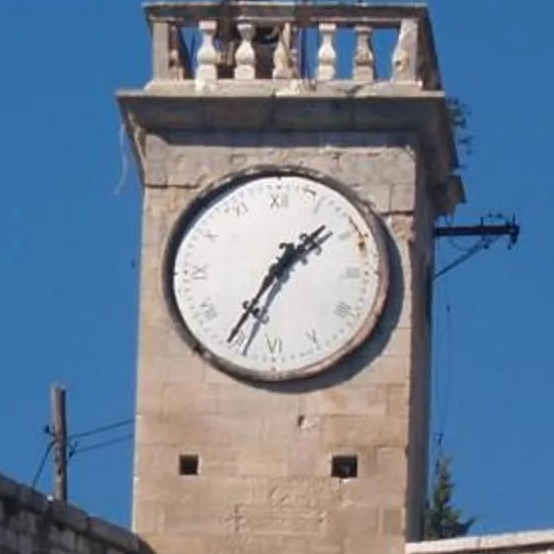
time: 1:35
